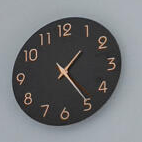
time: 1:24
